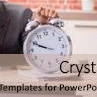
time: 9:49
